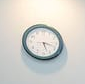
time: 5:18
